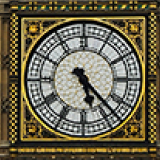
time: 5:22
